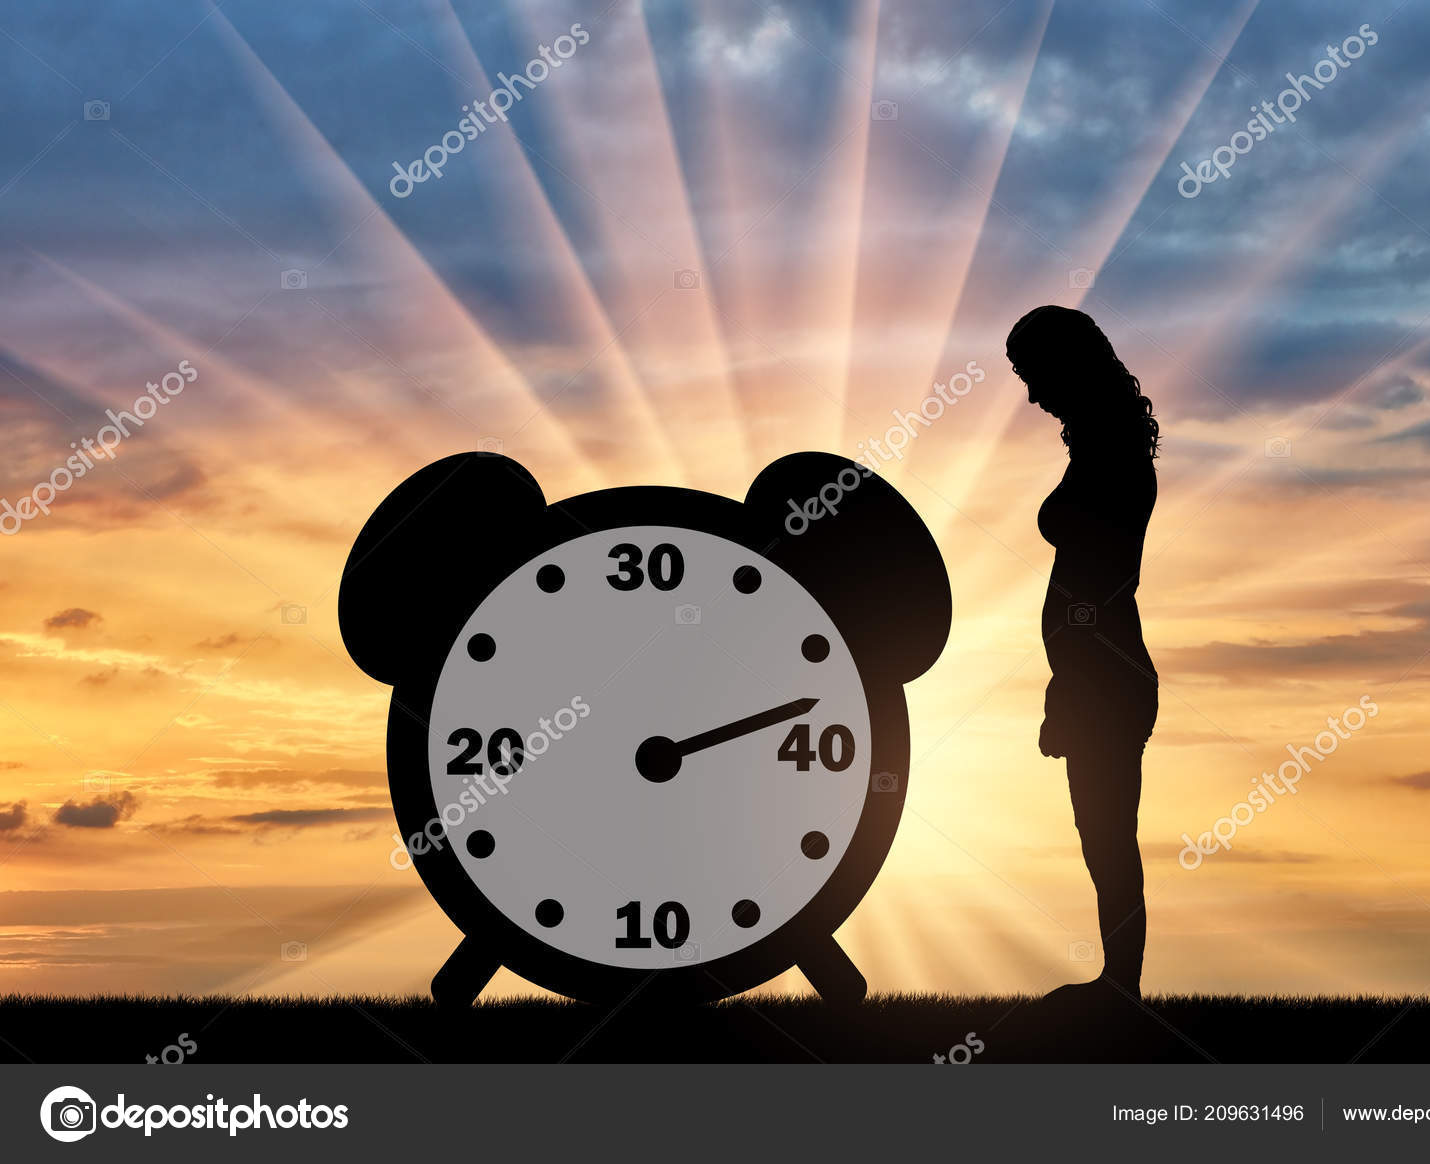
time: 2:12
